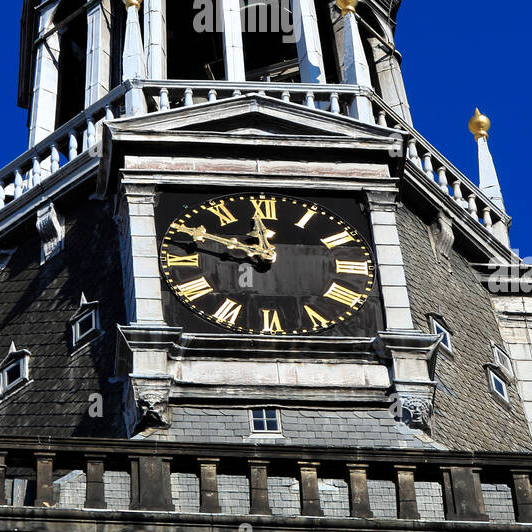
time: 11:49
